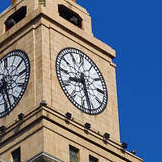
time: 8:27
